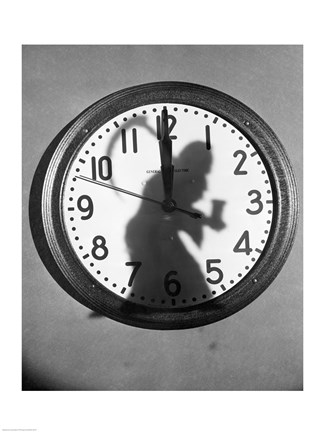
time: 11:59
